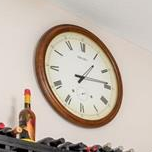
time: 1:13
